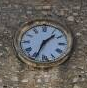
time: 1:33
